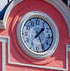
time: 1:25
